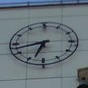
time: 6:42
